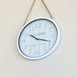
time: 10:18
